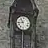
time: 10:43
